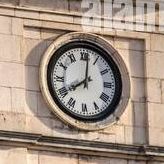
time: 8:01
